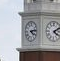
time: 4:13
